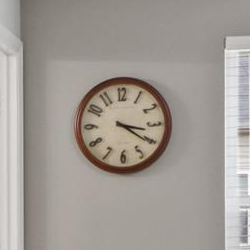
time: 3:20
